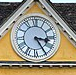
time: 3:24
